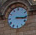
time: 3:16
